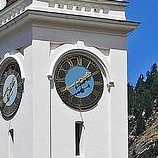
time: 1:40
